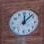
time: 12:07
